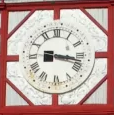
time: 3:16
